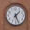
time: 1:26
